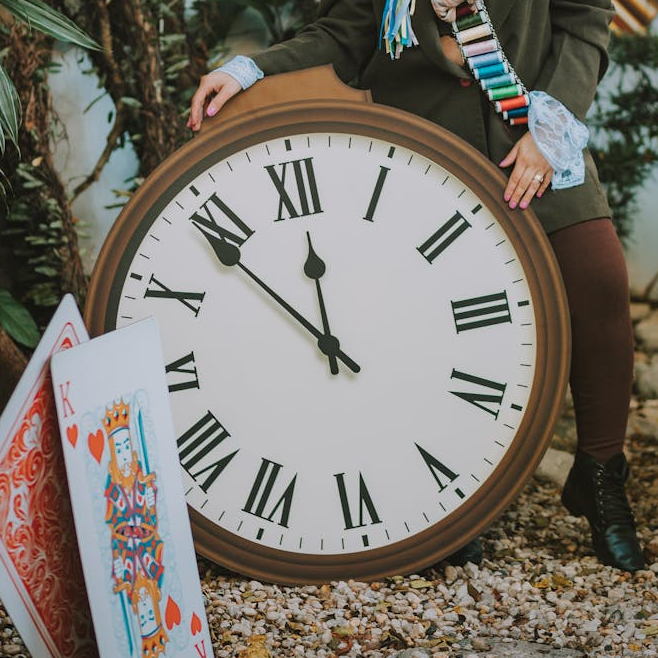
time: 11:53
